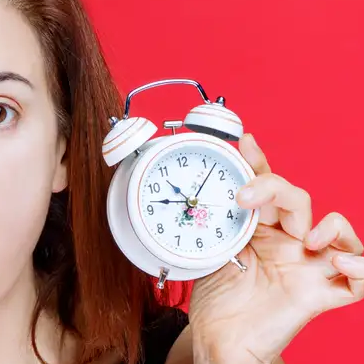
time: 10:47
